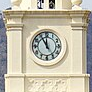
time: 10:59
